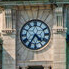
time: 4:35
